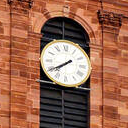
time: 7:39
